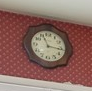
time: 11:16
